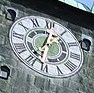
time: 12:05
